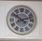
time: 10:12
